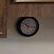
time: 10:15
